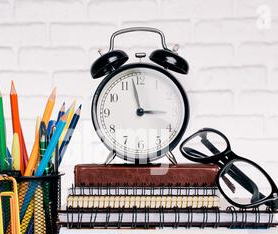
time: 2:58
